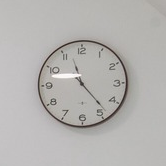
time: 11:23
